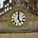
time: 5:00
